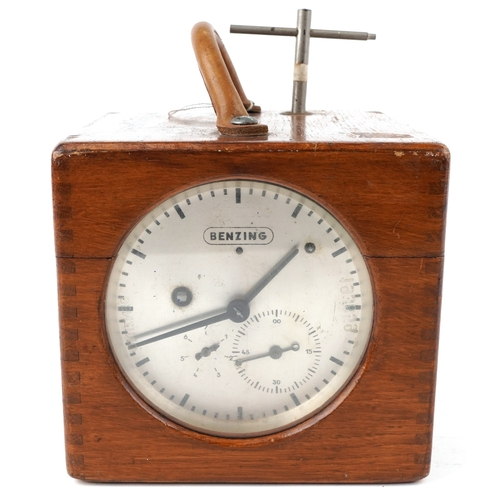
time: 8:07
